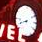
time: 8:41
